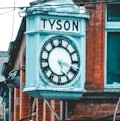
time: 5:17
